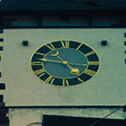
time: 4:46
